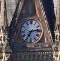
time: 7:15
